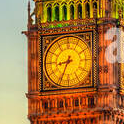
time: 8:34
